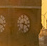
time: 3:32
